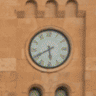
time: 5:40
